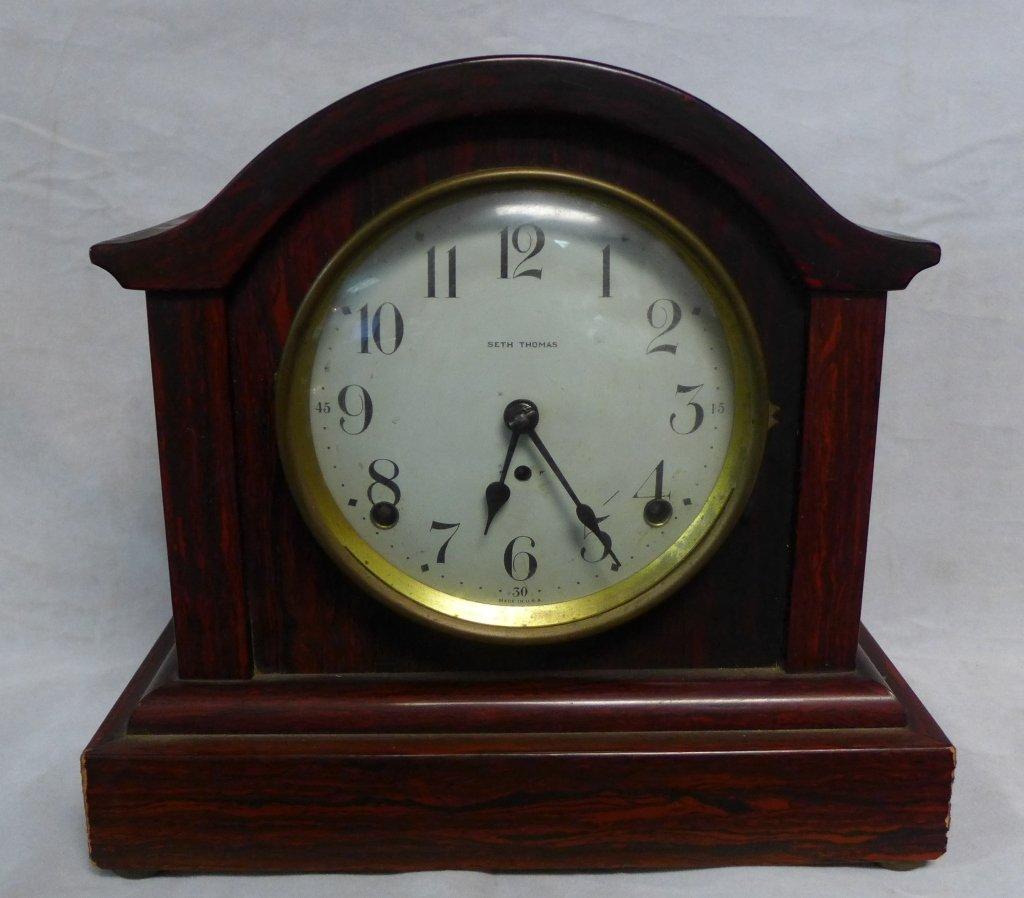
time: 6:24
